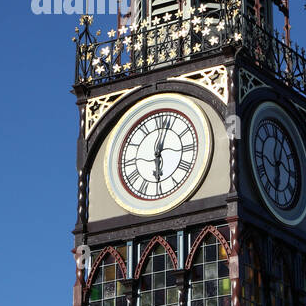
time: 6:03
